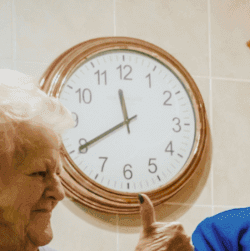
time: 11:39
